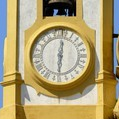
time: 6:01
